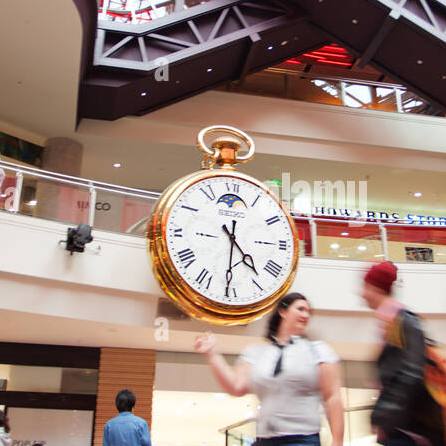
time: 4:30
